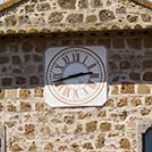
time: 2:42
